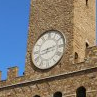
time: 8:12
